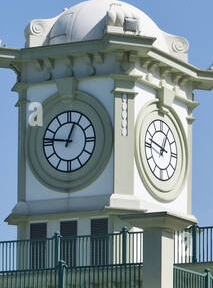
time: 12:46
